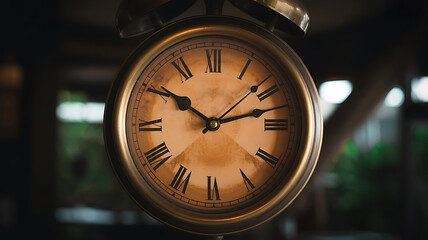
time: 10:12
